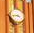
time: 3:43
